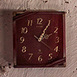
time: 2:05
